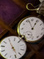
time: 12:56
